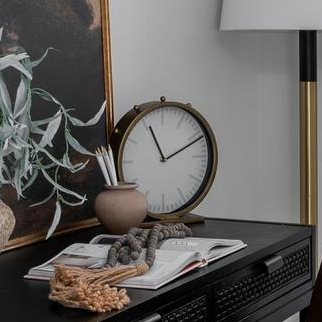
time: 11:10
